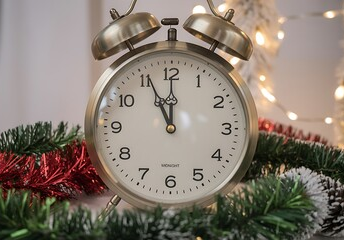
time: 11:55
